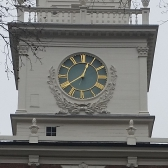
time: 12:39
